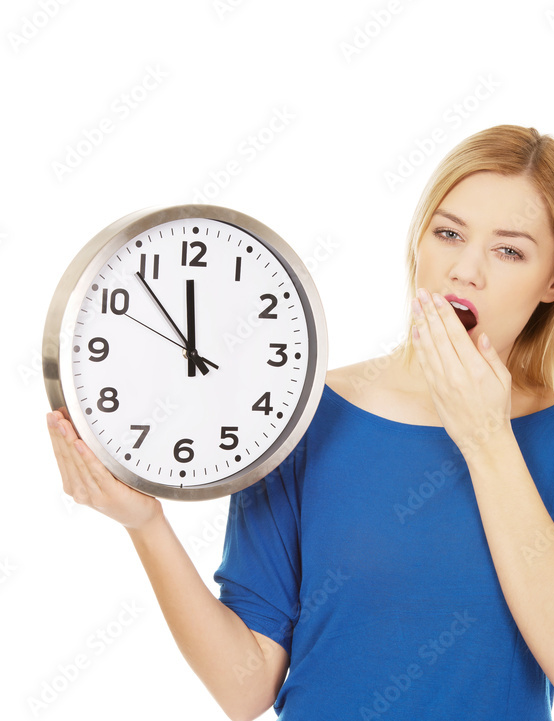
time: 11:53
